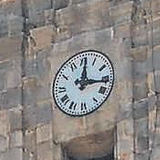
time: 12:16
